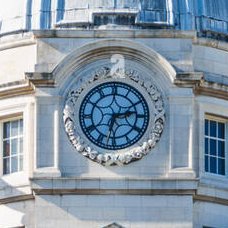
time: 2:32
